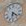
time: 6:21
